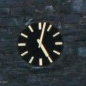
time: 5:02
